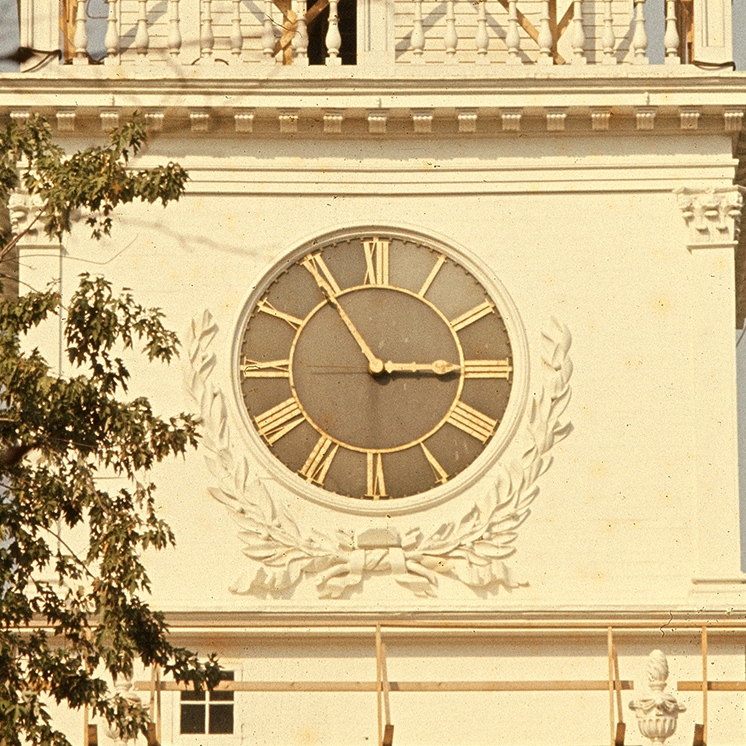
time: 2:54
